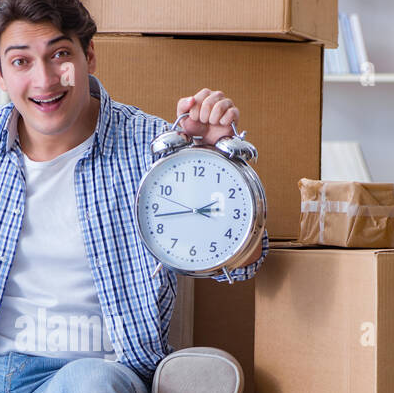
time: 1:42
